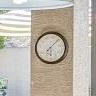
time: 6:07
